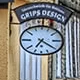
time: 7:20
